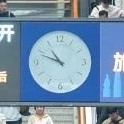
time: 10:48
